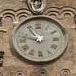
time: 10:47
